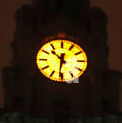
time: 10:31
